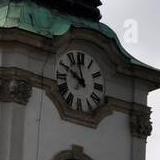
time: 9:57
